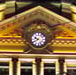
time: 9:40
